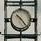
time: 10:22
